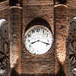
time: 8:18
